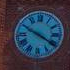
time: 3:49
